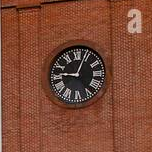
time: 9:03
